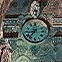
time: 11:36
